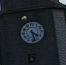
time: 4:27
